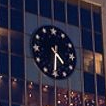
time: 4:30
